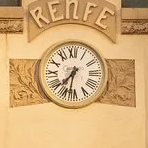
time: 7:32
